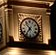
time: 10:36
